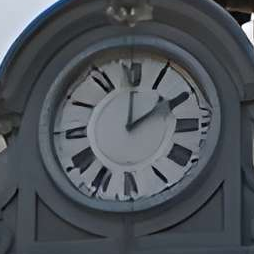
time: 2:00
